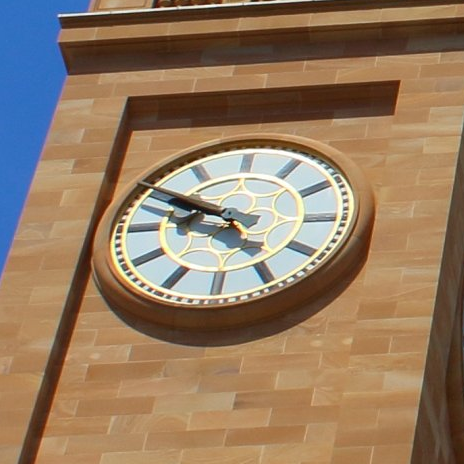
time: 4:49
